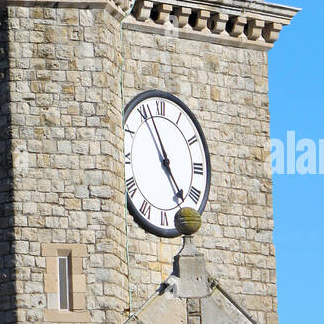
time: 4:56
